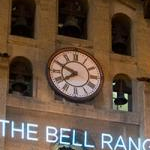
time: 7:49
